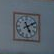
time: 5:09
